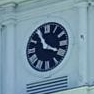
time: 3:54
